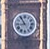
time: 8:54
